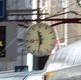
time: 11:32
